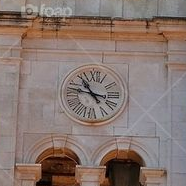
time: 10:47
